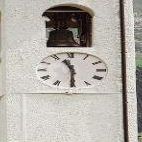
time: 11:30
